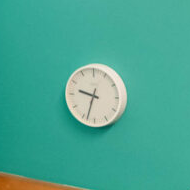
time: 9:33
